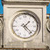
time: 1:22
